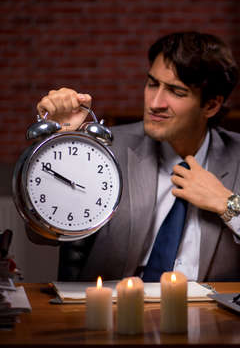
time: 9:50
